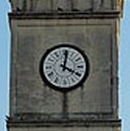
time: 4:01
